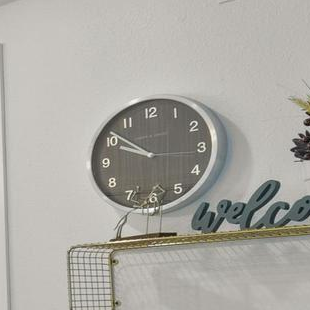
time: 9:51
